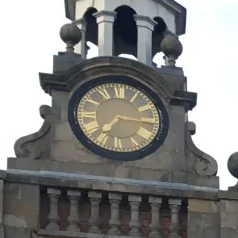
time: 7:15
